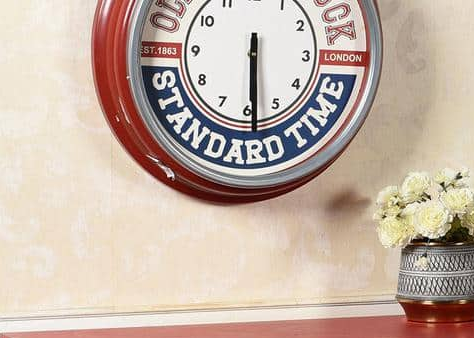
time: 5:29
